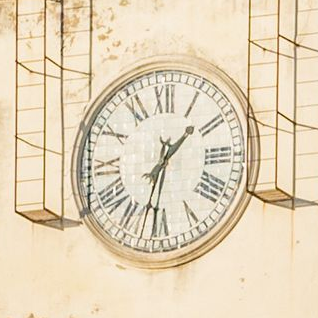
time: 1:32
